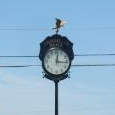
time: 12:15
